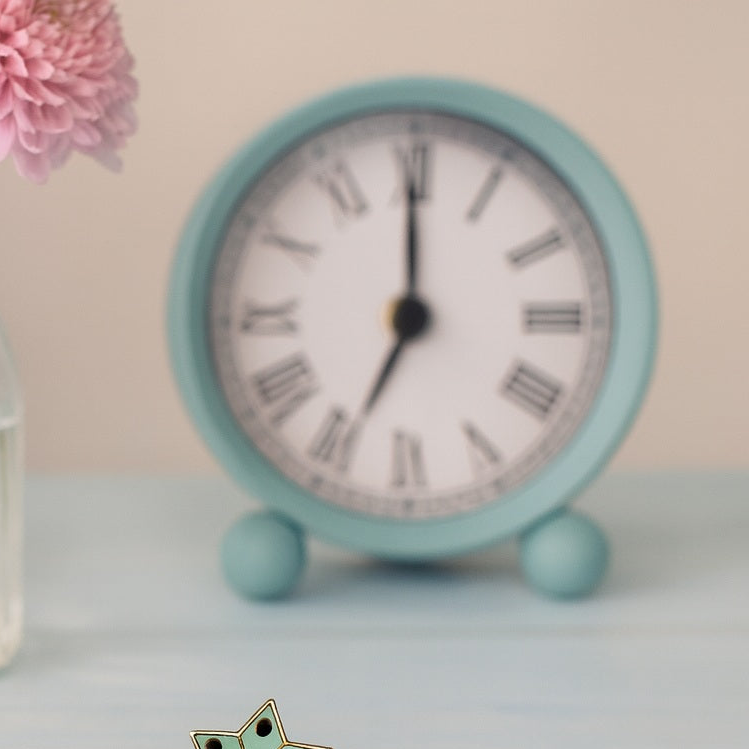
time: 7:00
